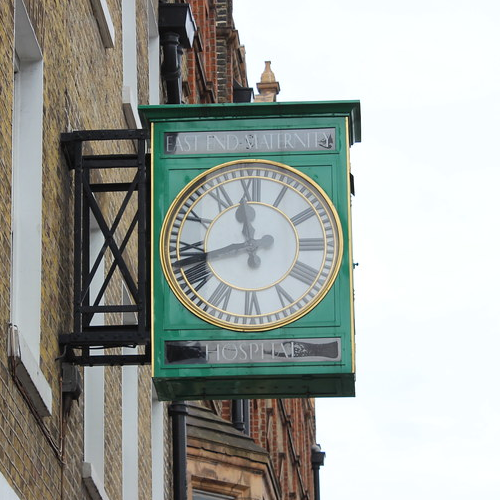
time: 11:42
